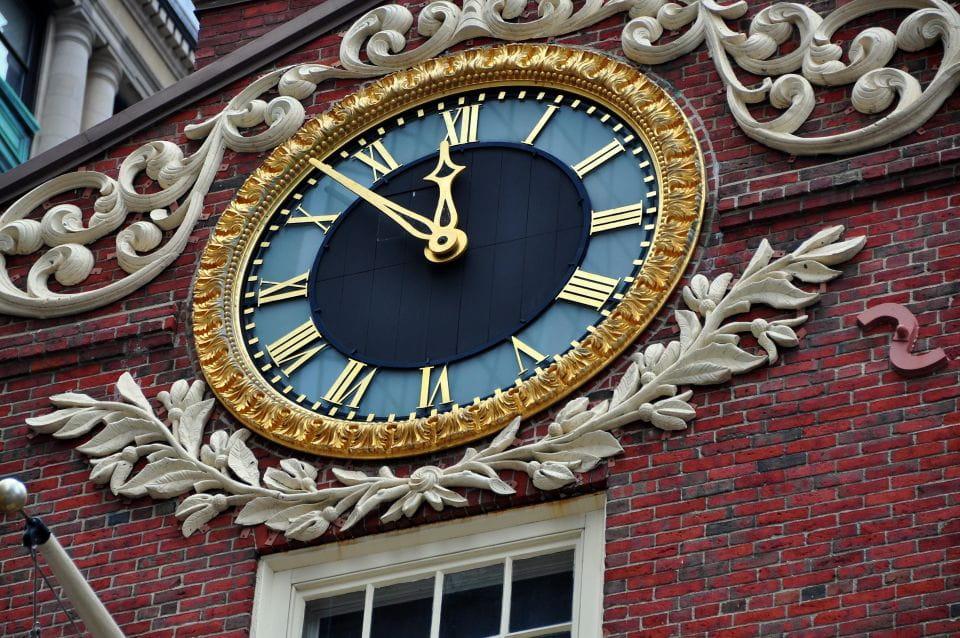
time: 11:52
